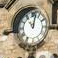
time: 11:02
